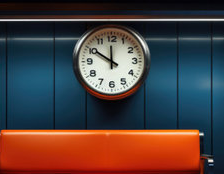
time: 11:50
